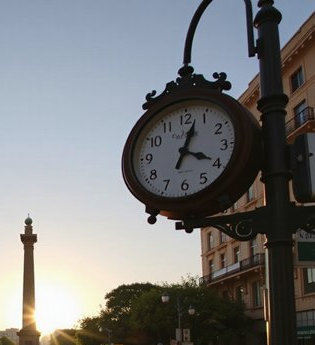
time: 4:03
